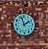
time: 1:57
